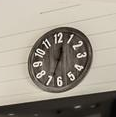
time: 12:33
